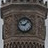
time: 9:07
